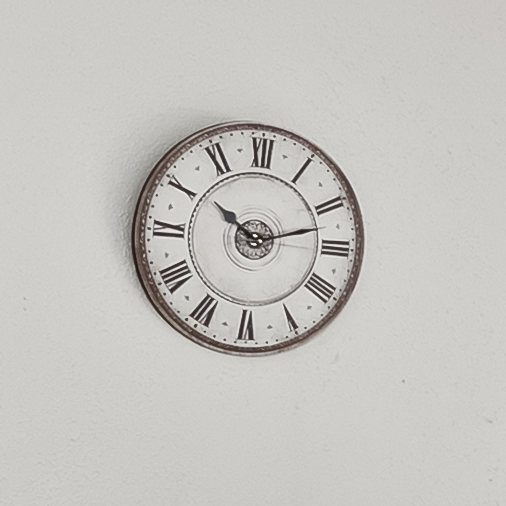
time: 10:12
